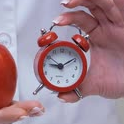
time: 9:09
